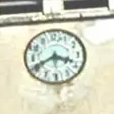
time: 3:40
